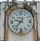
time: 9:37
